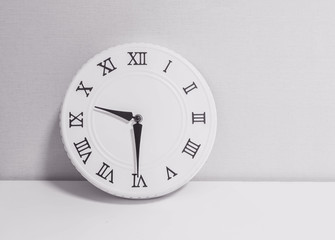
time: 9:30
